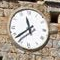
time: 11:38
